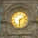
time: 6:10
